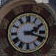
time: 2:18
